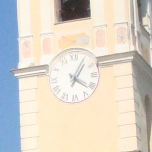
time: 4:05
